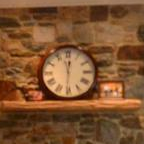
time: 12:30
